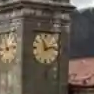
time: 11:12
